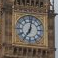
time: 7:01
